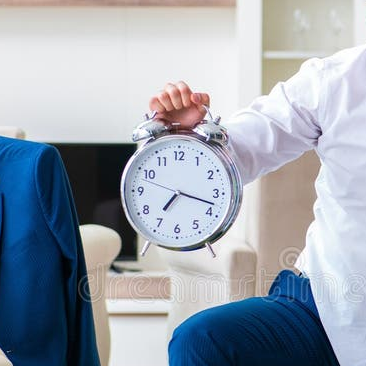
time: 7:17
